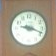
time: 9:18
